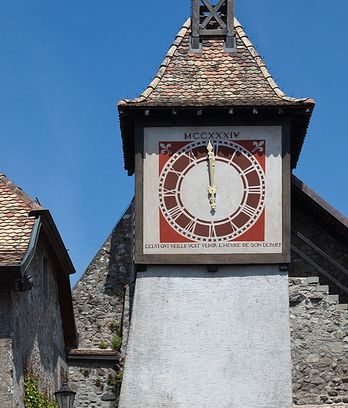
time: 5:59
